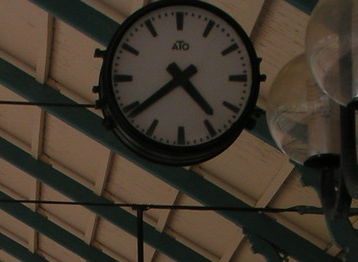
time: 4:38
